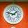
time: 1:46
